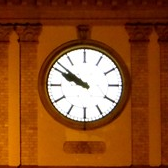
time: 9:50
